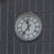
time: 11:36
